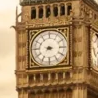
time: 7:15
